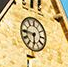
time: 5:45
